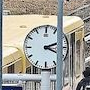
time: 2:18
